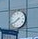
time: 7:39
